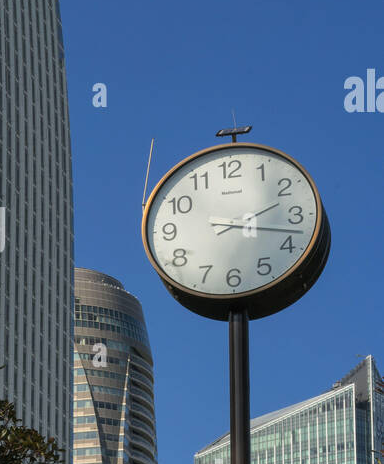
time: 2:17
